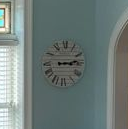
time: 3:13
